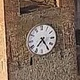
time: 7:24
